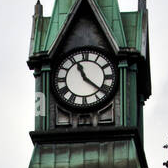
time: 11:21
